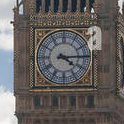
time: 4:14
